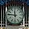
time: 11:46
